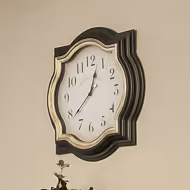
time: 12:38
